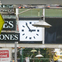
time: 2:54
